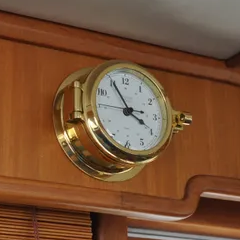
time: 3:55
